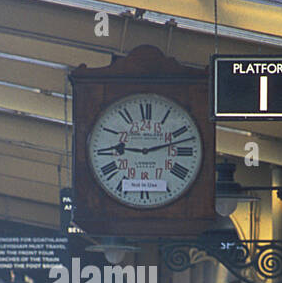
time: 9:12
